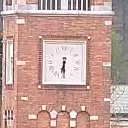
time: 6:29
